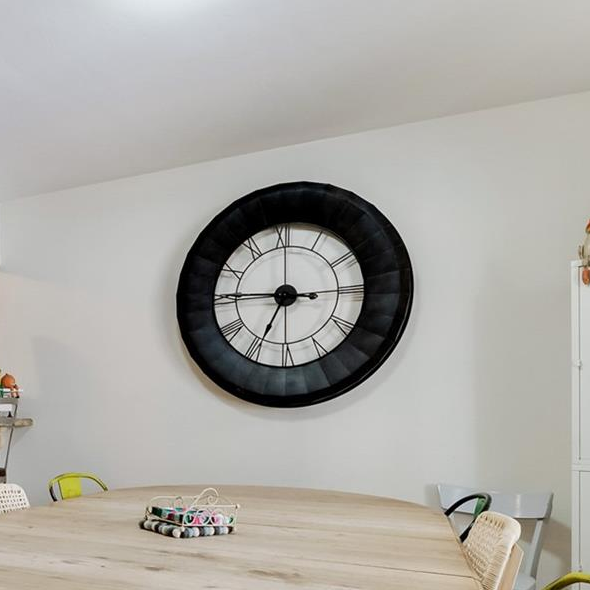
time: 6:45
